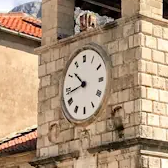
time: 10:43
